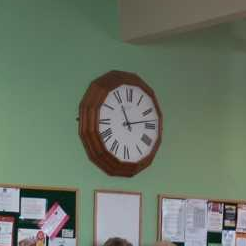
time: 11:13
